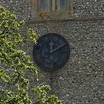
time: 12:10
